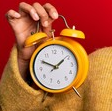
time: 1:50
